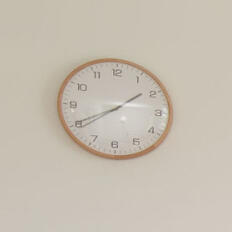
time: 1:40
